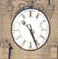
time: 10:26
